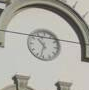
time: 10:32
